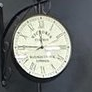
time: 11:45
